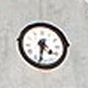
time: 4:32
